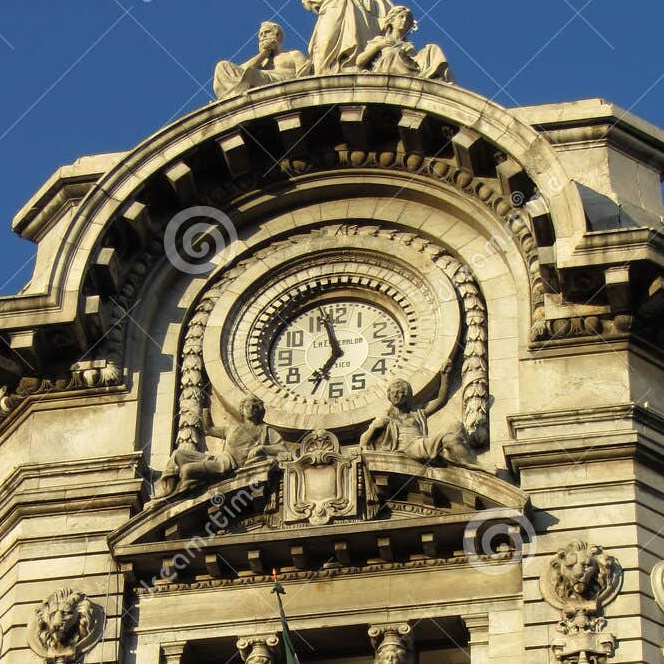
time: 6:58
